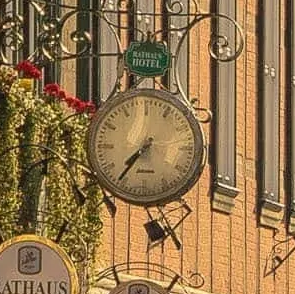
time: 7:36
